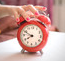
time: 7:49
